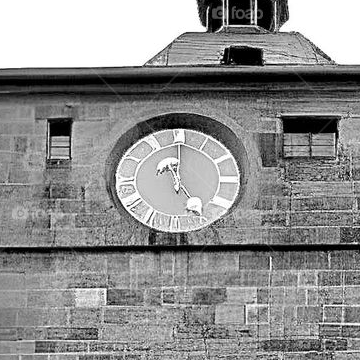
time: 5:00
